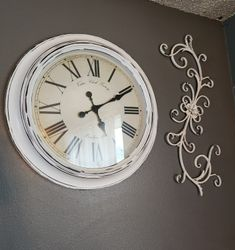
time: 5:10
